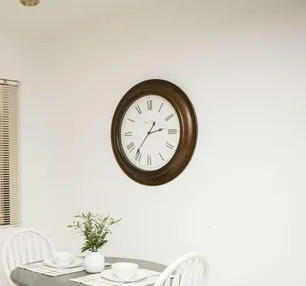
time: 2:36
